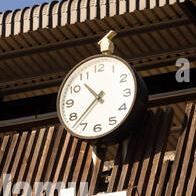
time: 10:37
